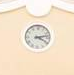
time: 3:12
